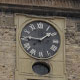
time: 1:46
